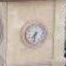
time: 7:32
